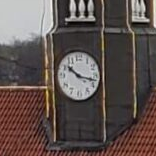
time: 10:17
